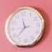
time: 11:37
